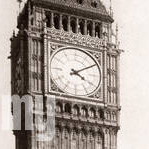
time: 4:09
